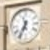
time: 11:35
